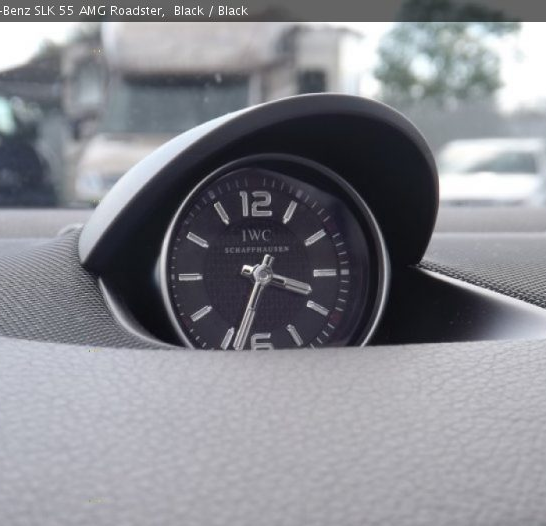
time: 3:33
